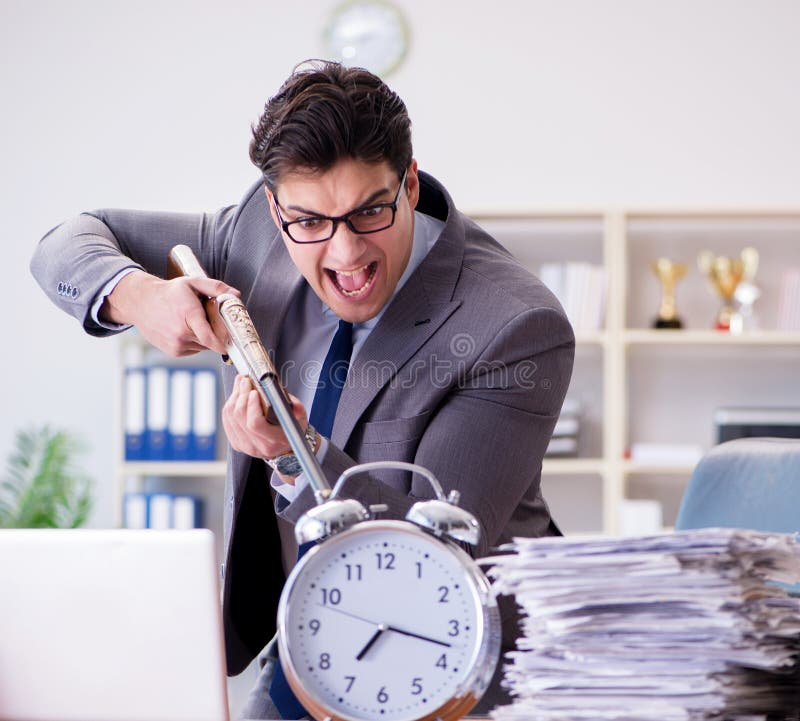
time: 7:17
